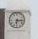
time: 6:14
